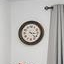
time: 3:22
